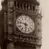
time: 5:46
